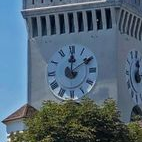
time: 12:09
